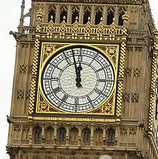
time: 11:57
